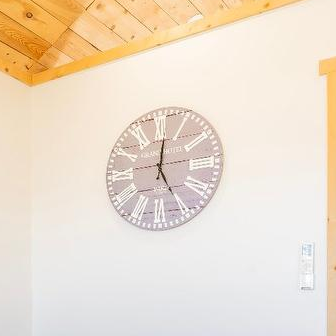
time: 5:01
